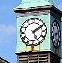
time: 5:09
